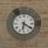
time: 6:20
